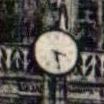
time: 3:28
